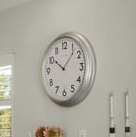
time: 10:07
